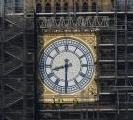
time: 8:30
